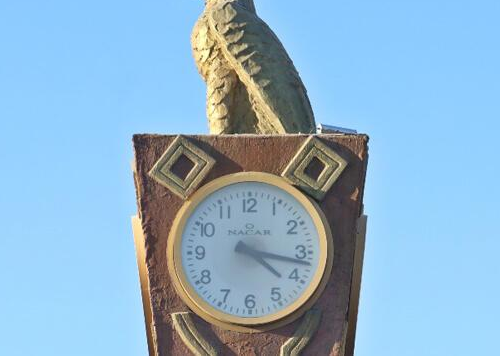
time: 4:17
